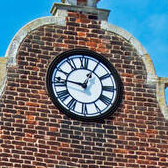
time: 12:46
